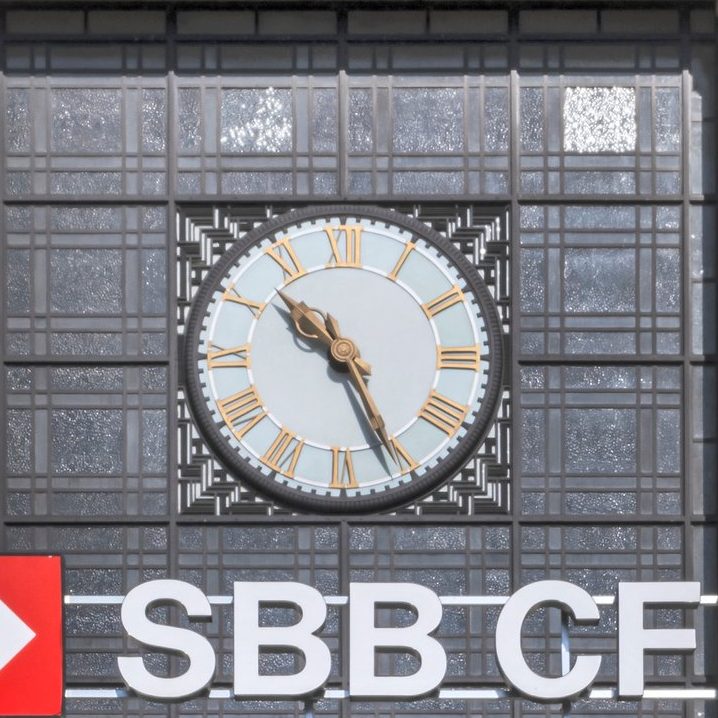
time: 10:26
